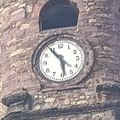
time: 5:54
